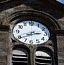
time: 2:40
